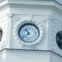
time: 10:39
